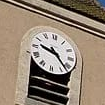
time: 9:22
